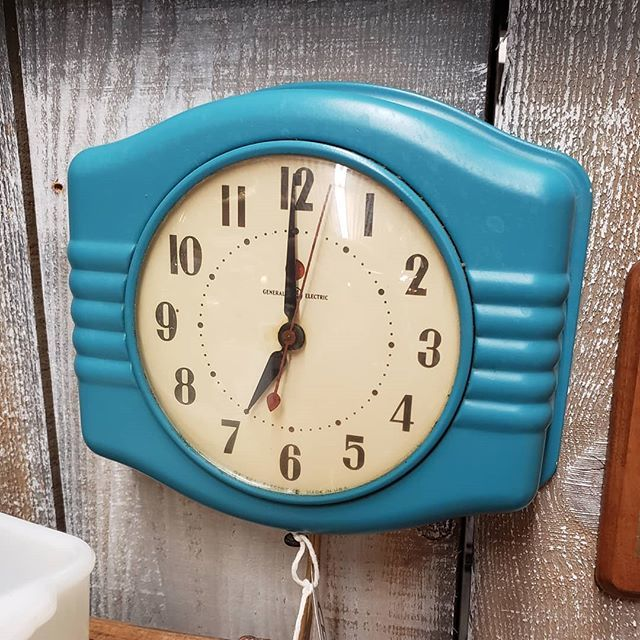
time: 6:59
